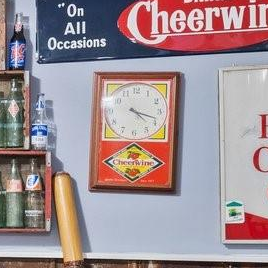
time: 4:17
